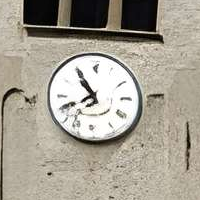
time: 7:54
